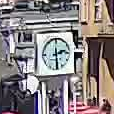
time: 2:29
